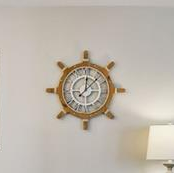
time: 12:07
